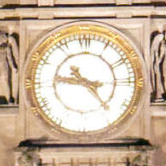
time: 9:23
